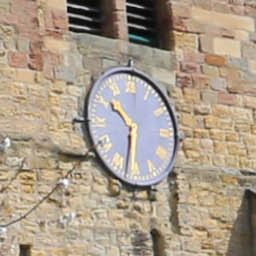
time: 10:32
